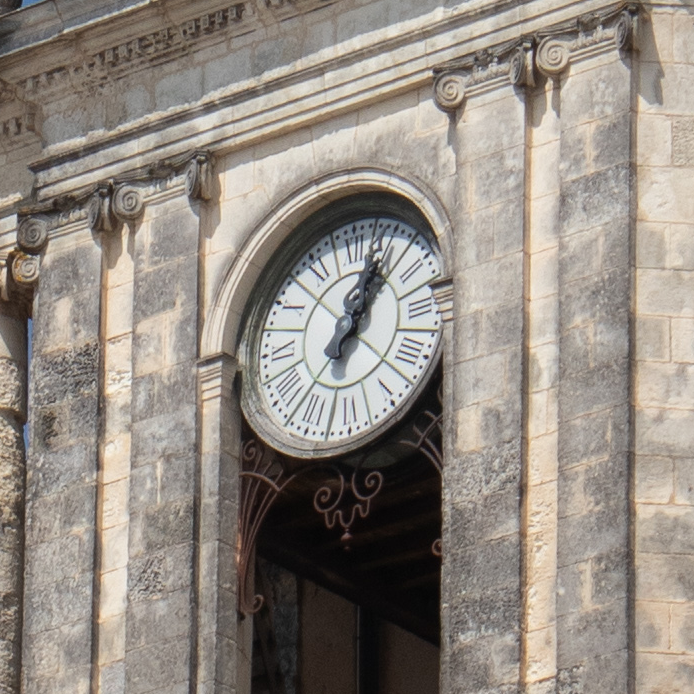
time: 1:02
